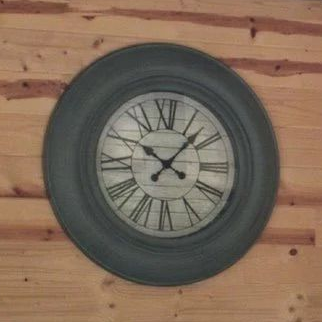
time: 10:07
